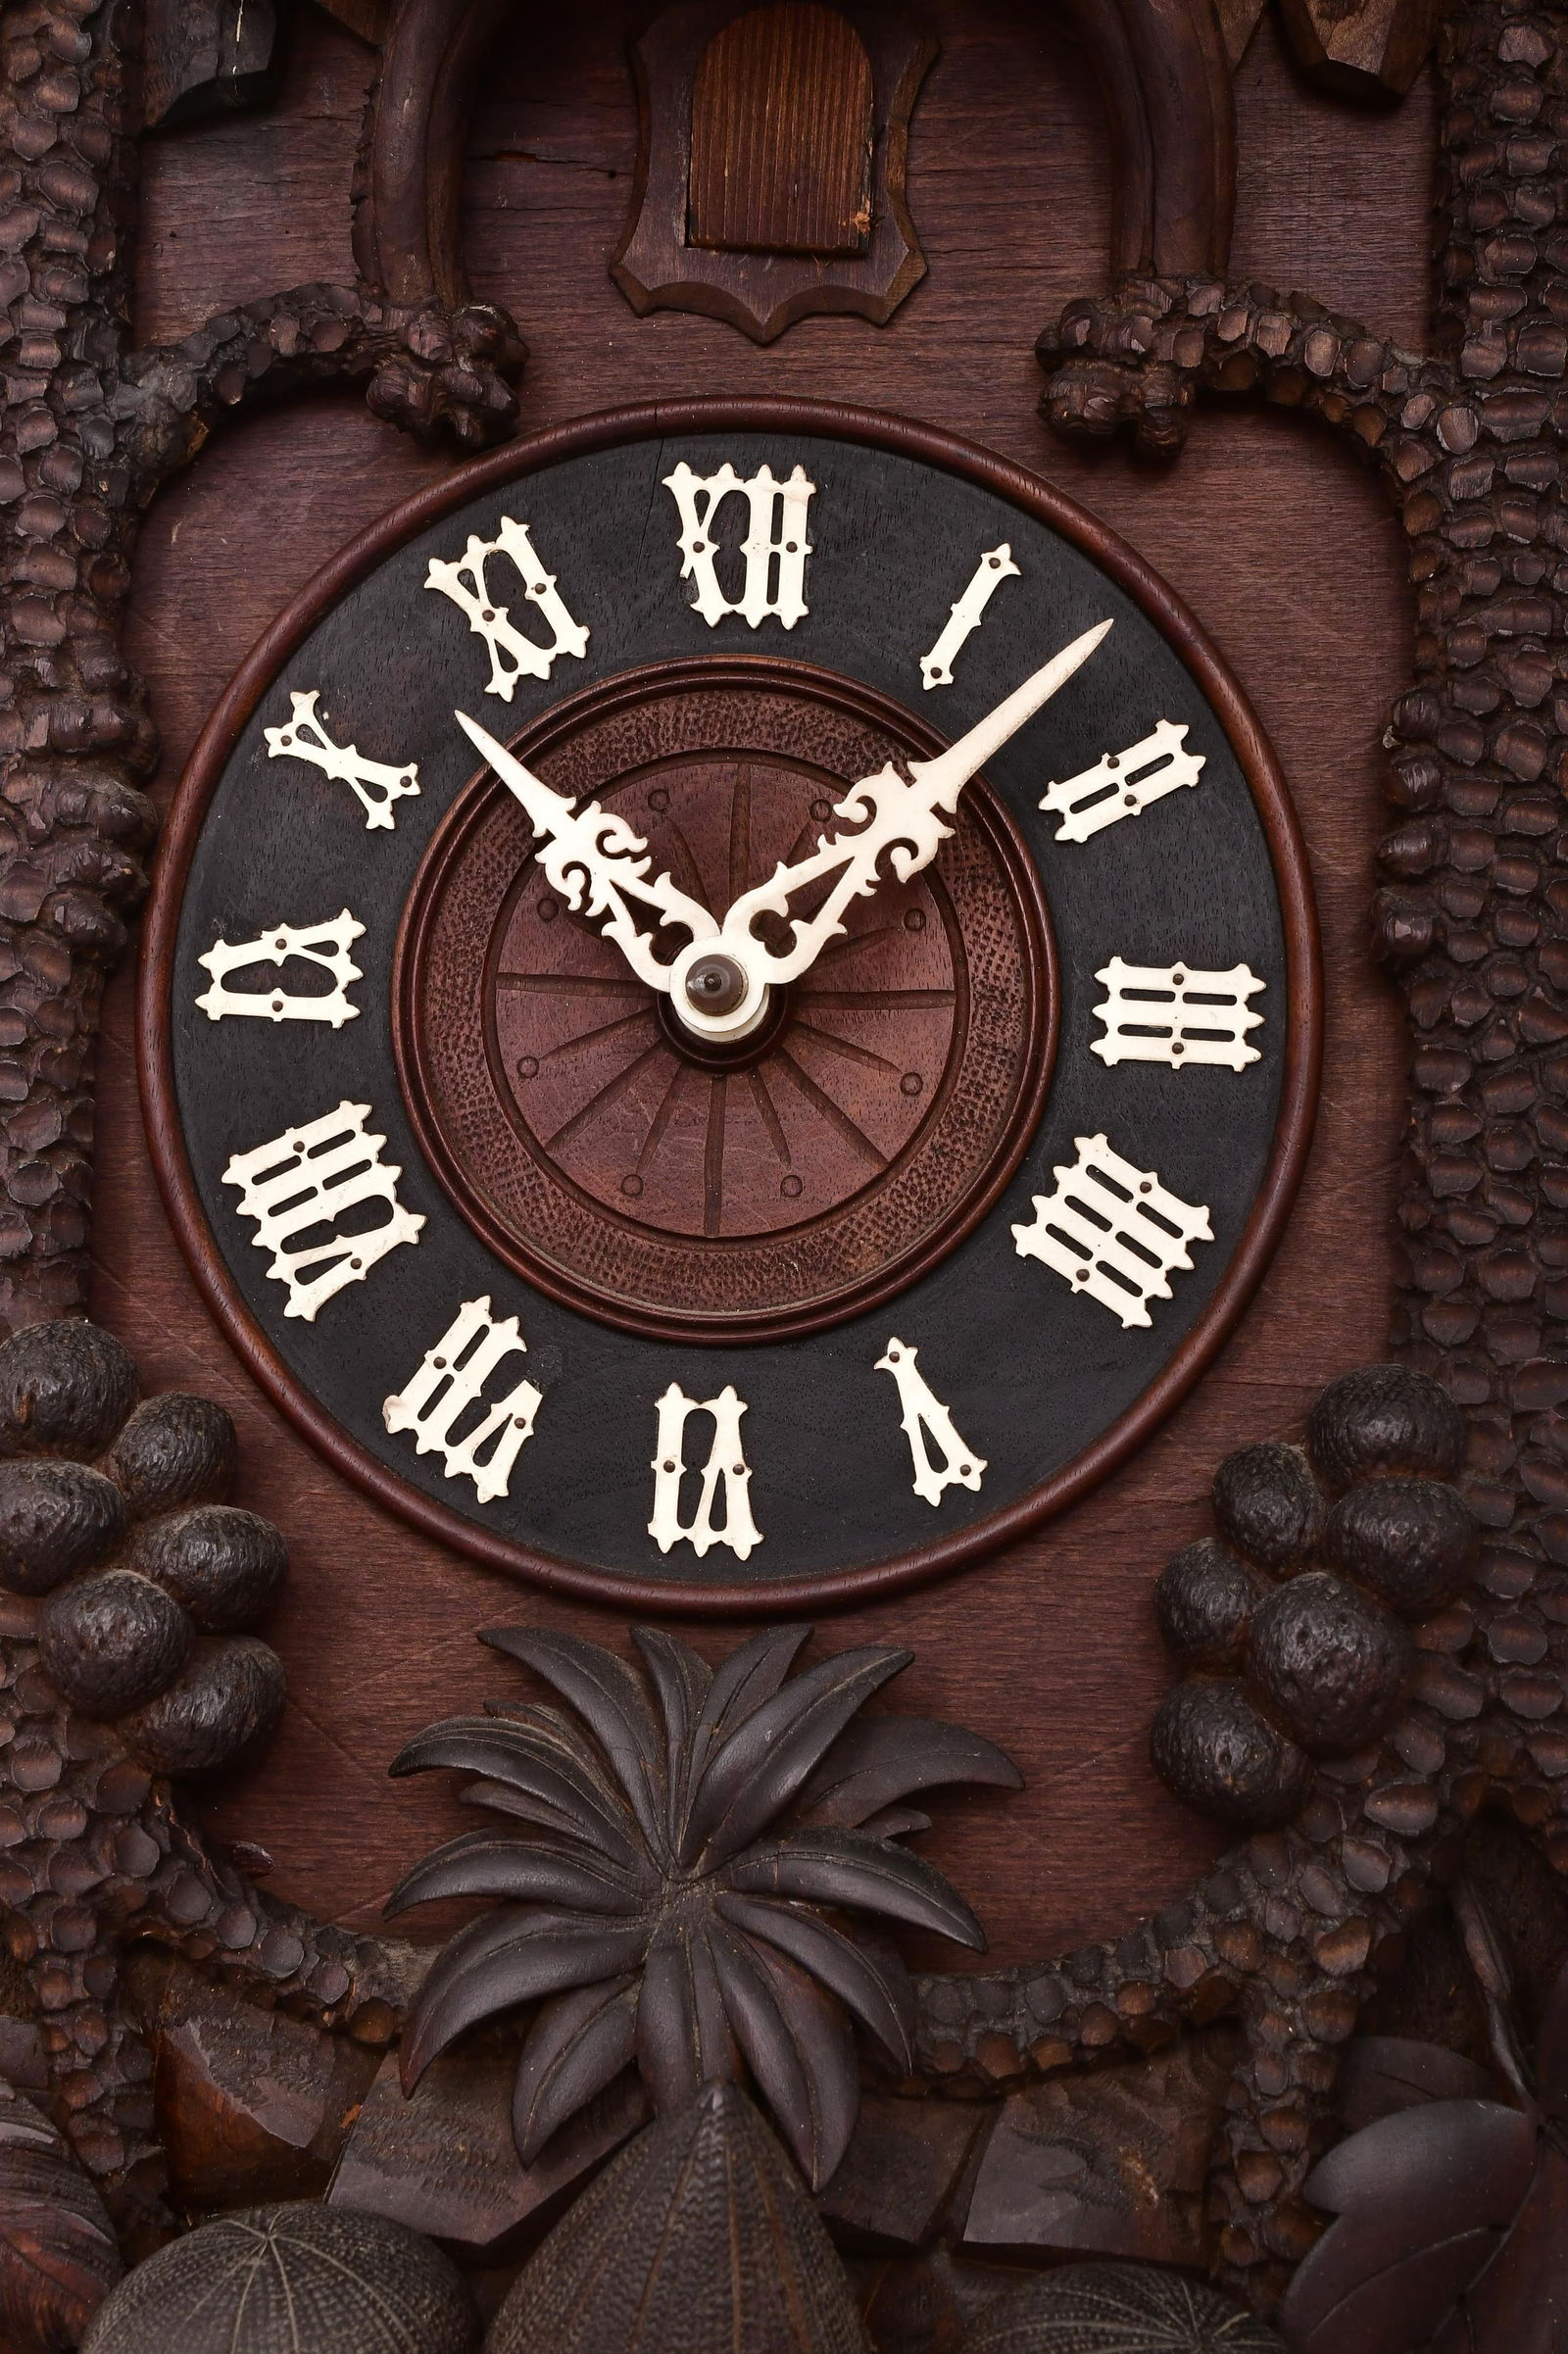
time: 10:07
